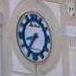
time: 8:36
